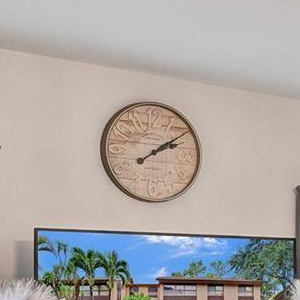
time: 2:09
